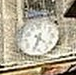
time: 4:33
